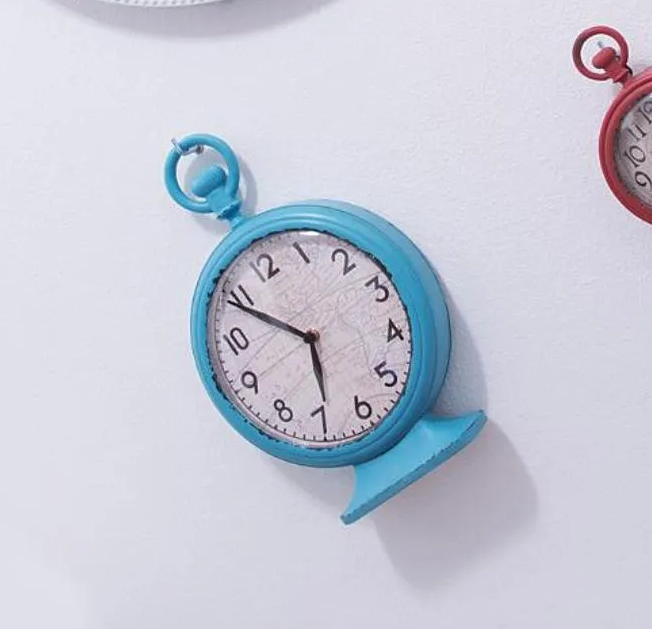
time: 5:49
